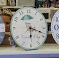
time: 6:18
